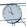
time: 9:57
